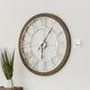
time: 6:05
